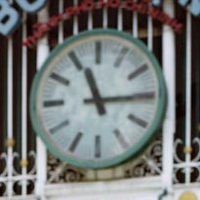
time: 11:14
